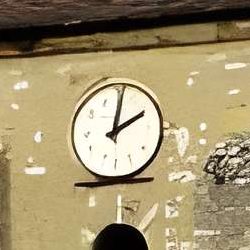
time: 2:01
